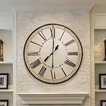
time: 7:30
